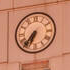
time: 6:36
